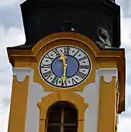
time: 11:29
